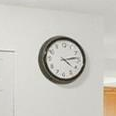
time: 4:13
